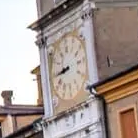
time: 8:44
